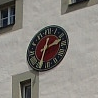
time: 2:32
